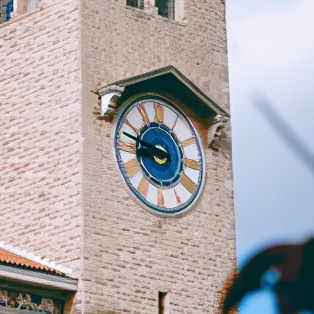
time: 8:47
